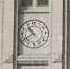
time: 10:40
